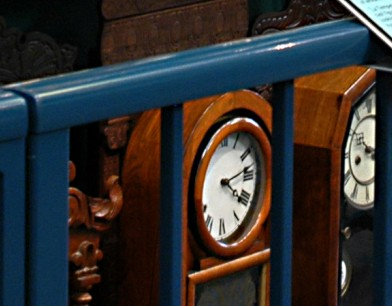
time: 4:13
